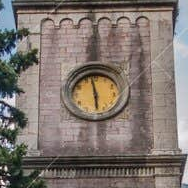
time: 5:58
